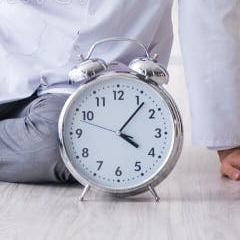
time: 4:06
